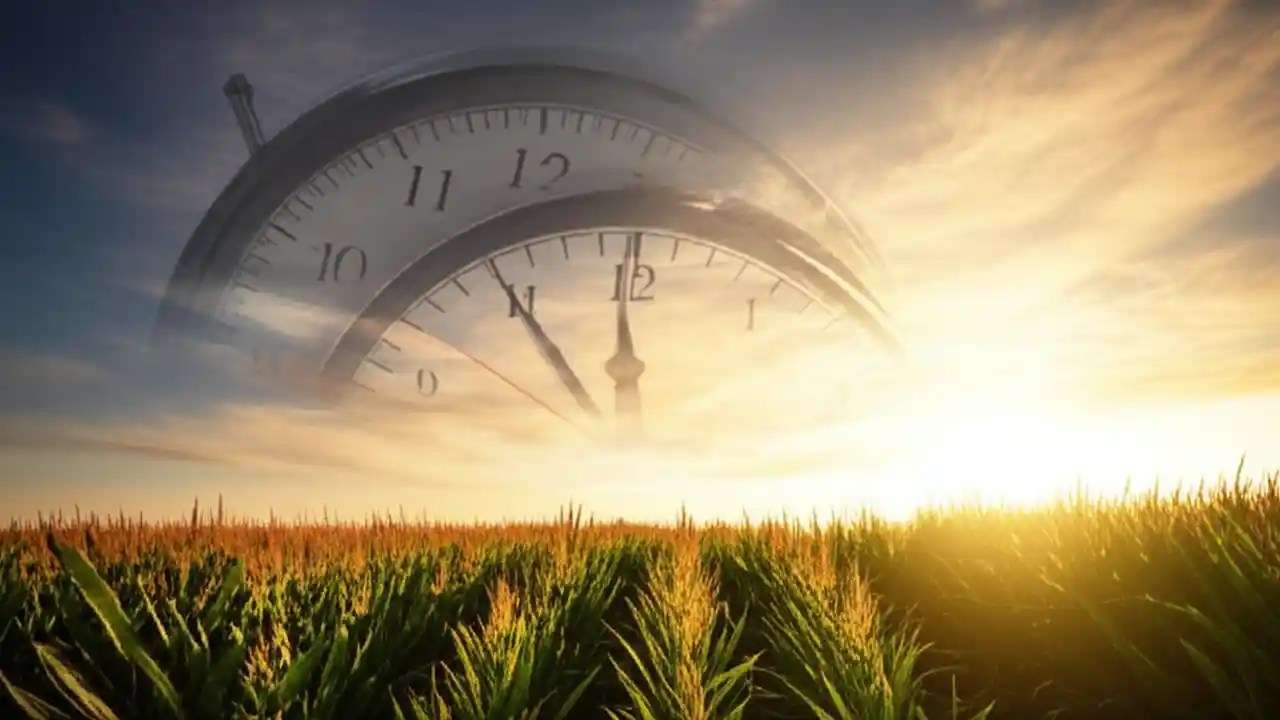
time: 11:54
